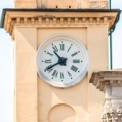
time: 10:39
